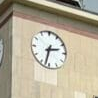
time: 2:32
